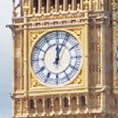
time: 12:04
